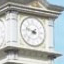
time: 9:36
